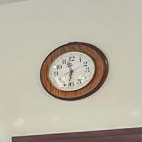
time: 11:31
